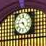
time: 4:45
